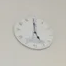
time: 4:59
